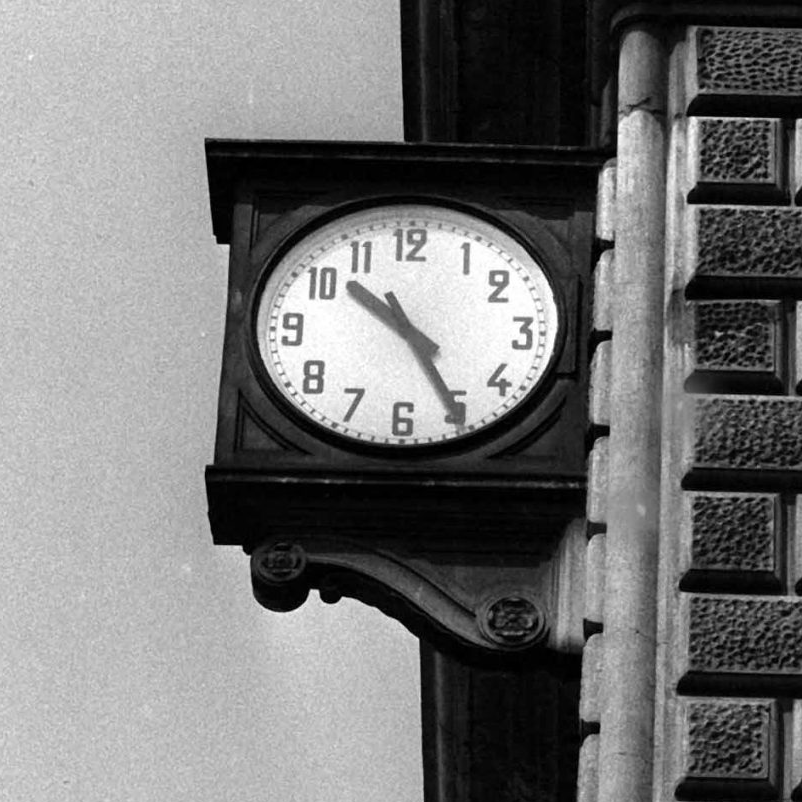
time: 10:25
